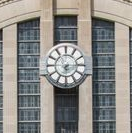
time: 6:14
